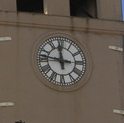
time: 11:46
